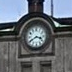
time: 3:40
